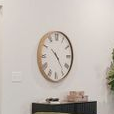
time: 10:23
